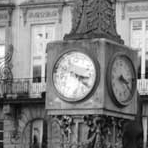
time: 3:21
